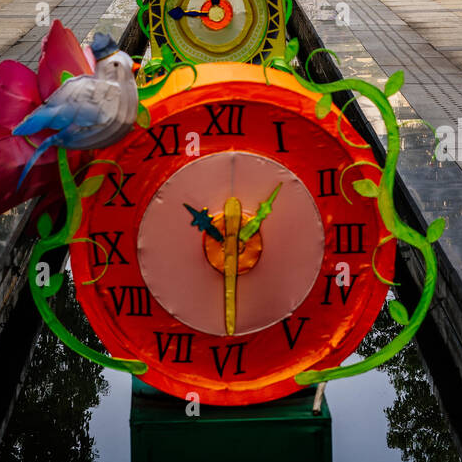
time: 10:30
